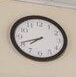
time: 7:41
